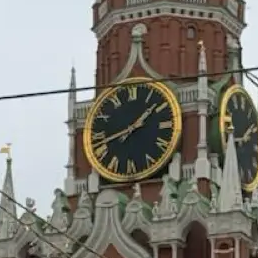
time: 1:42
